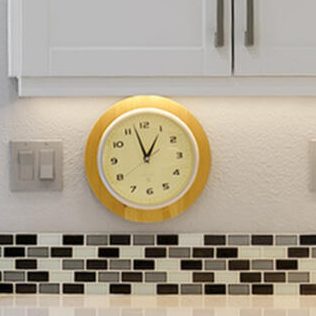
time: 12:57
